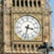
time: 3:32
